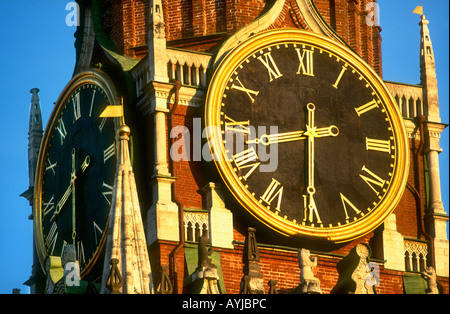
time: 8:30
